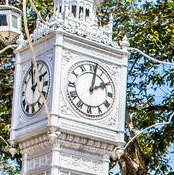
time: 2:01
